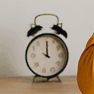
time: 10:00
